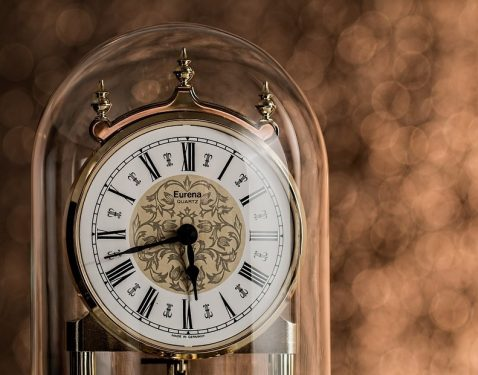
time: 5:42
